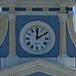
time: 12:09
